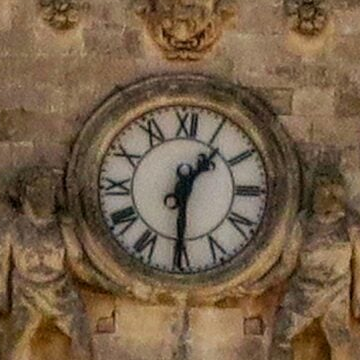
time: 1:30
